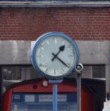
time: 1:21
